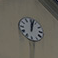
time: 12:02
